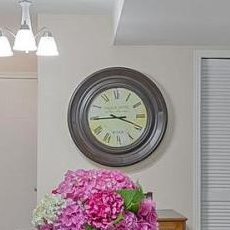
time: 3:44
